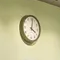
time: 4:01
